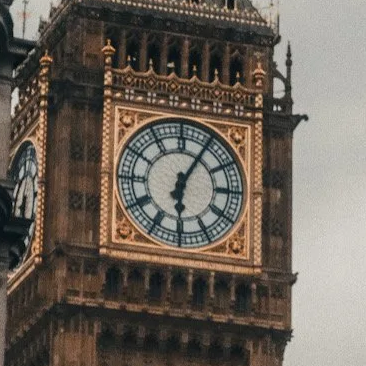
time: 6:05
